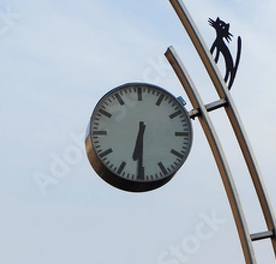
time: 6:30
